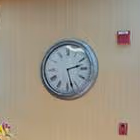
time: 2:27
